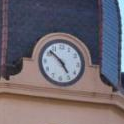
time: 4:52
